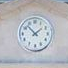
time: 1:52
